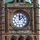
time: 12:07
